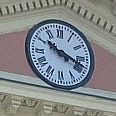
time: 10:18
